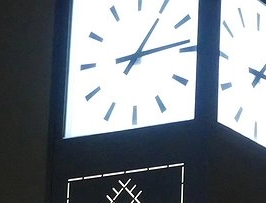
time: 1:13
